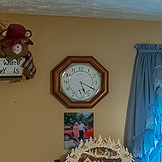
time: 5:19
